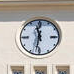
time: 11:32
